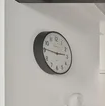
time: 2:45
